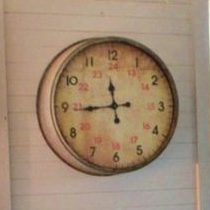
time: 11:44
